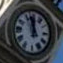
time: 11:57
